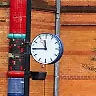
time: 11:44
